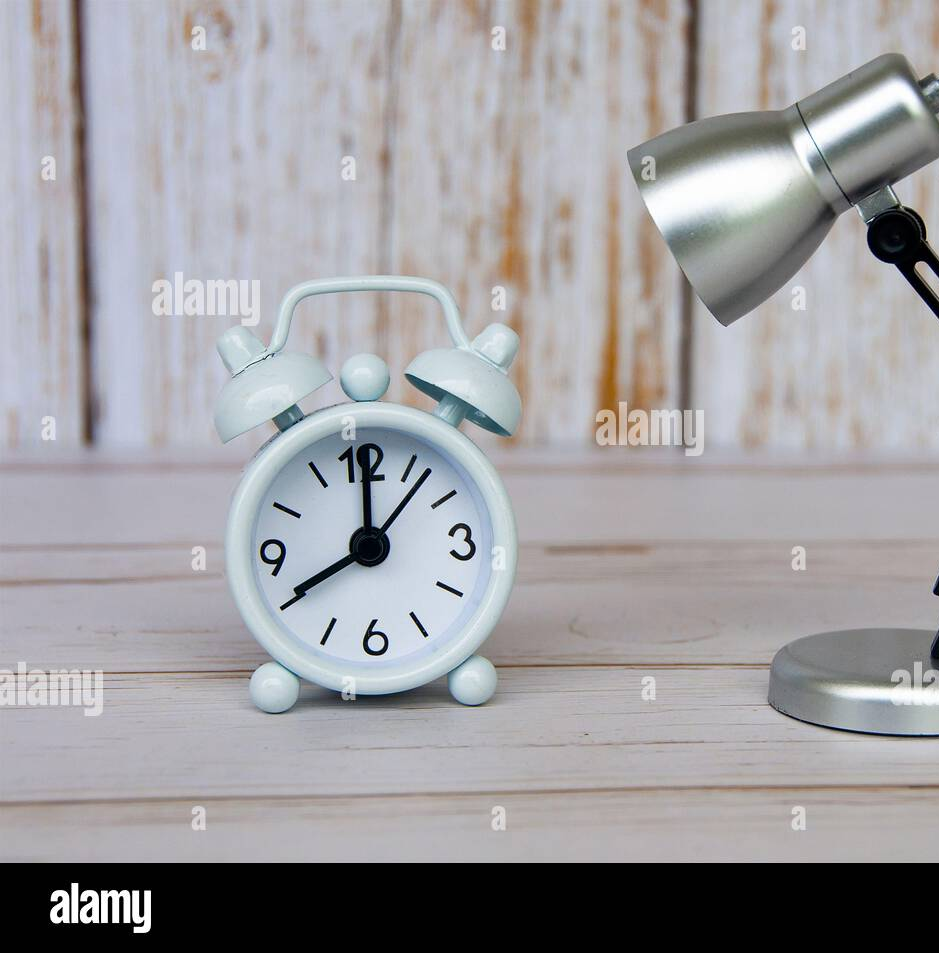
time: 8:00
